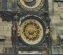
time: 7:12
